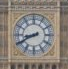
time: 8:40
